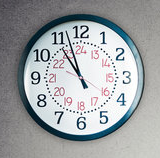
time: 10:57
